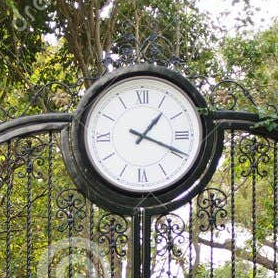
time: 1:18
